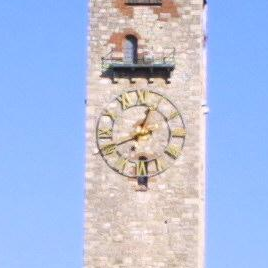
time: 12:41
